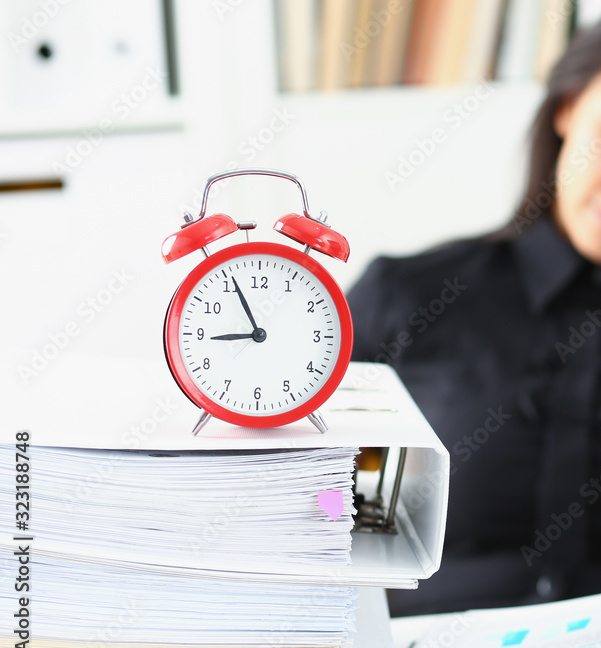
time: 8:55
